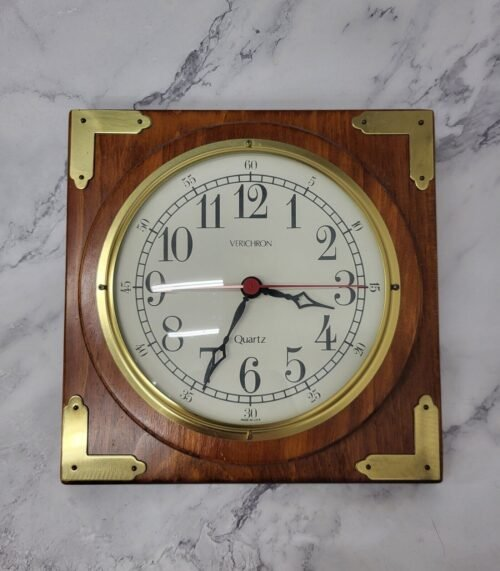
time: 3:34
